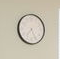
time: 7:25
